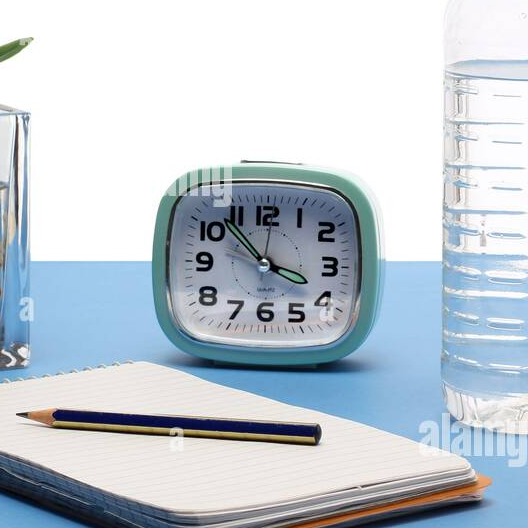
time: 3:53
